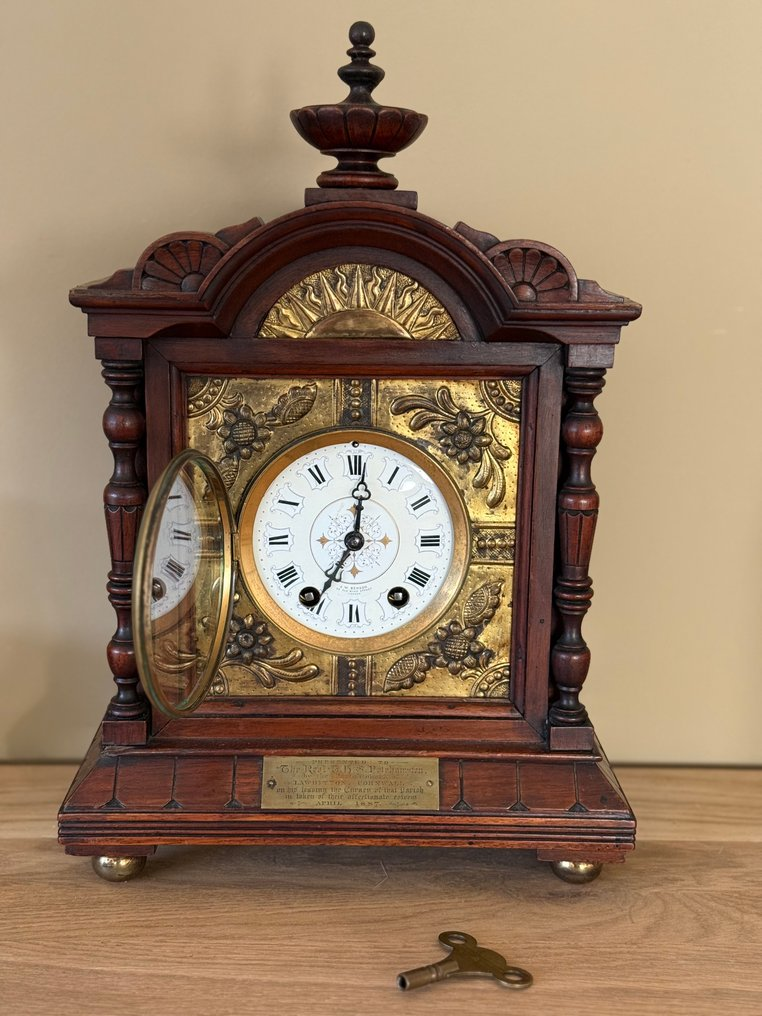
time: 6:58
